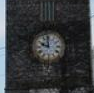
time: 9:59
